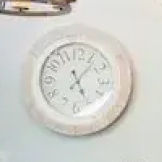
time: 5:06
